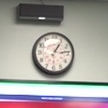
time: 1:13
